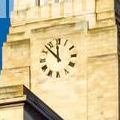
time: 11:52
